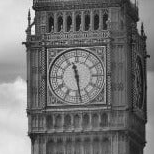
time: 11:28
